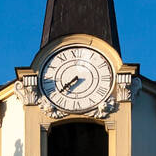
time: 7:38
